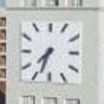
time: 7:33
